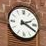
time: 2:19
